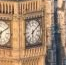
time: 6:08
